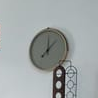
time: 12:07
